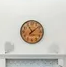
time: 11:08
